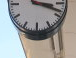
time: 3:18
